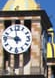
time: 11:46
